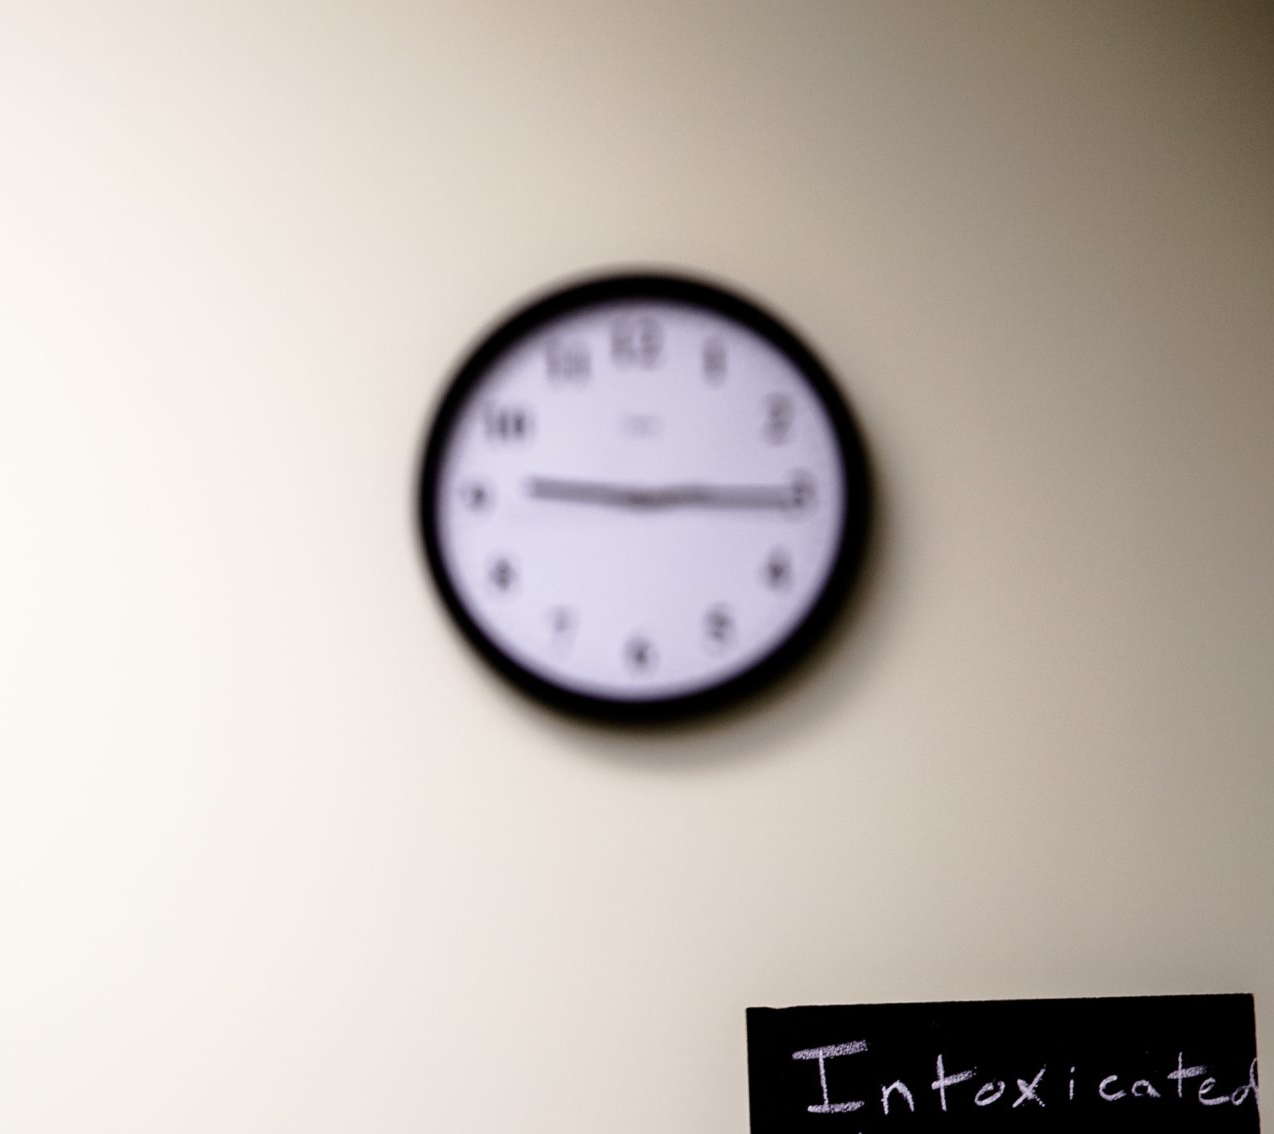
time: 9:15
